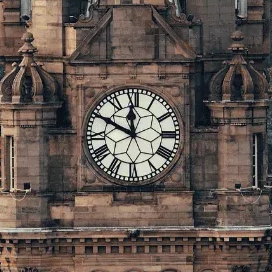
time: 11:49
